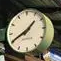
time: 1:40
